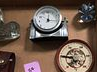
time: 12:16
